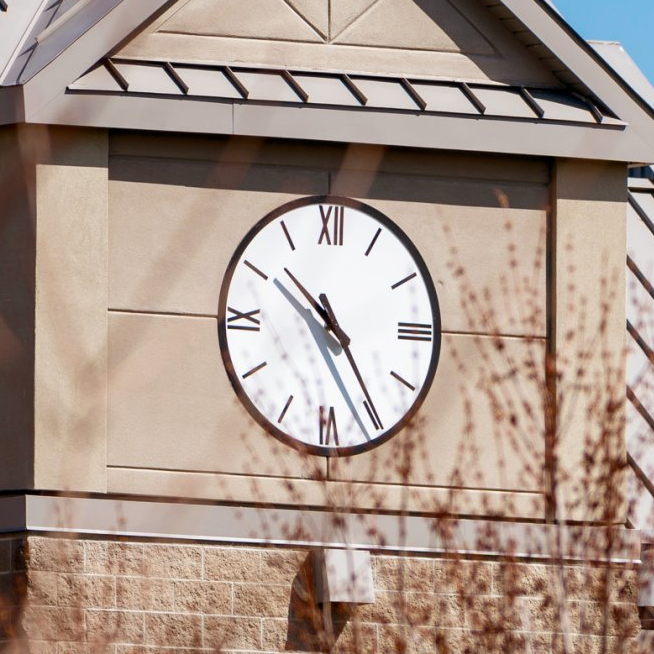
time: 10:24
